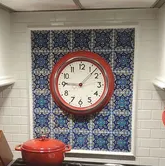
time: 9:07
